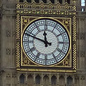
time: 11:48
